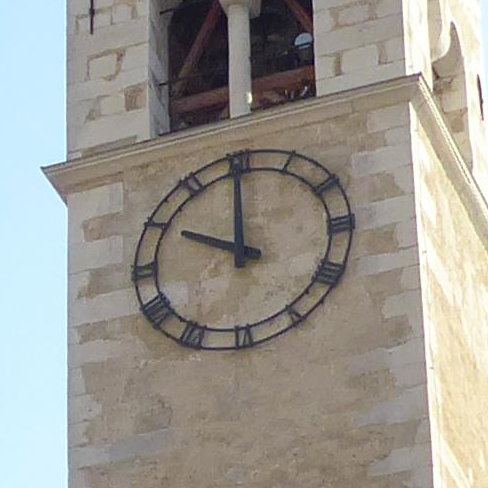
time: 9:59
